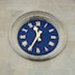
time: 11:34
